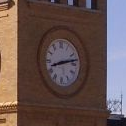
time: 8:13
